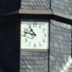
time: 10:47
